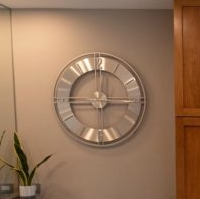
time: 12:14
